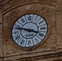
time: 3:47
